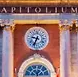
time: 8:33
